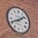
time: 1:41
